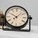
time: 10:07
